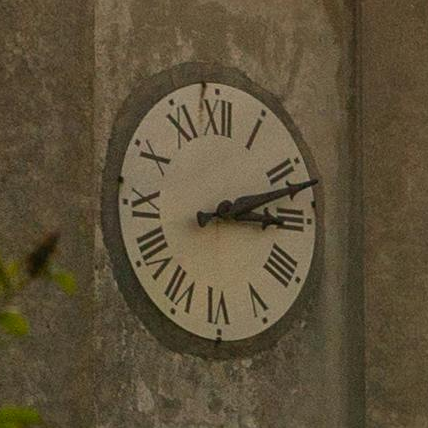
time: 3:12
